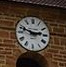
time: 2:48
